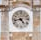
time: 4:42
